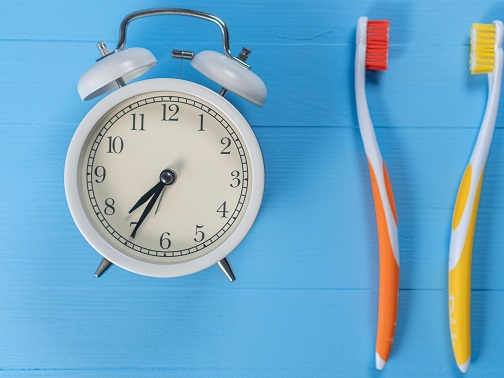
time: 7:34
